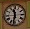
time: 11:32
